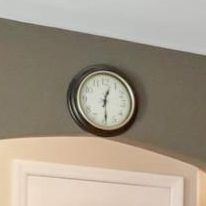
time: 12:29
